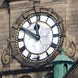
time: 11:50
